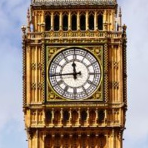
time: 11:44
